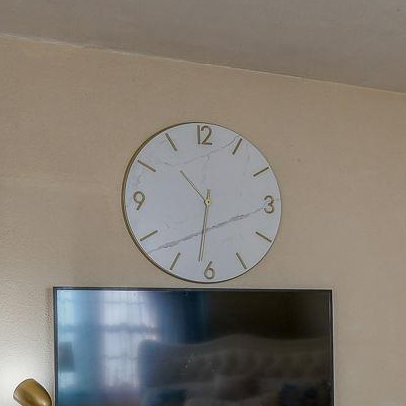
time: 10:31
